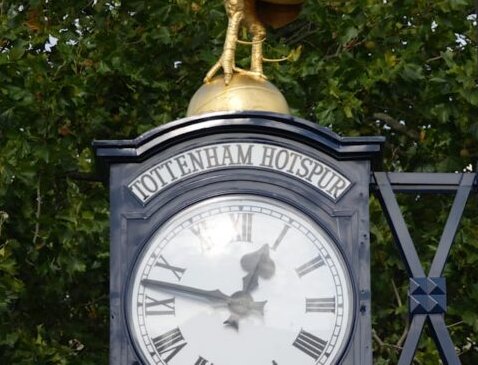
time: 12:47
